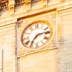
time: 7:13
